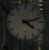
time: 4:12
